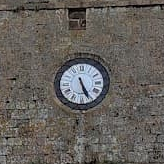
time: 5:26
